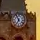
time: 6:56
